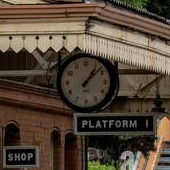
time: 1:07
